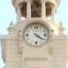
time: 4:20
